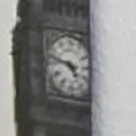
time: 4:47
